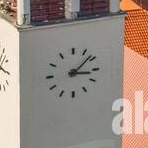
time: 3:08
